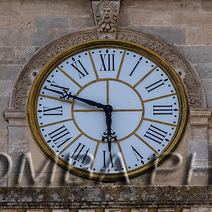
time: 5:48
